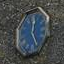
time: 12:24
